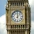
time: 12:07
